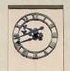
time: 9:41
